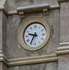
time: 9:35
